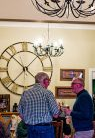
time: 1:37
